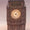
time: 4:07
